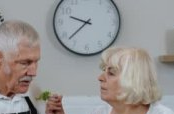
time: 9:37
